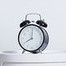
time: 8:01
